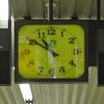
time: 10:50
